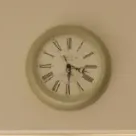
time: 3:29
